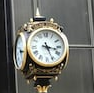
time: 3:26
